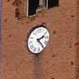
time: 2:23
